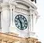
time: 10:28
